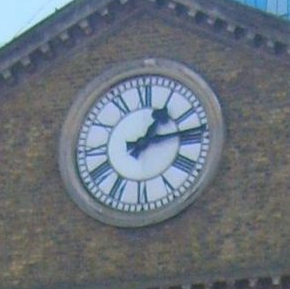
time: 1:13
